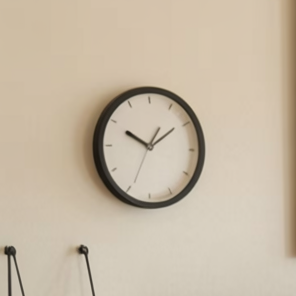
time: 1:49
